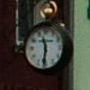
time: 11:31
